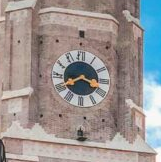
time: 3:40
